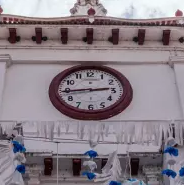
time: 2:44
